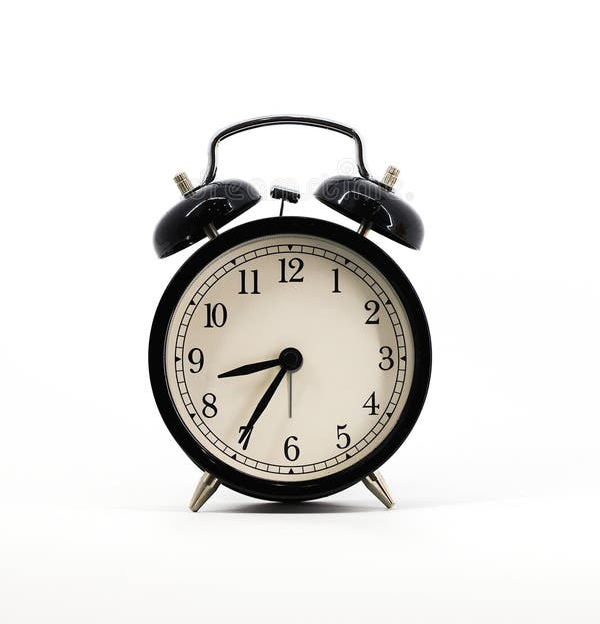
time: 8:35
